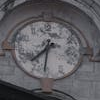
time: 7:31
